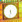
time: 5:32
